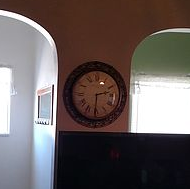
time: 2:30
